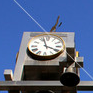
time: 3:57
